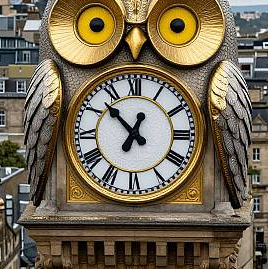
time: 12:52
